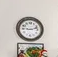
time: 9:12
